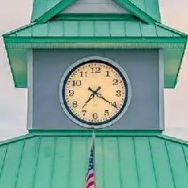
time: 7:20
